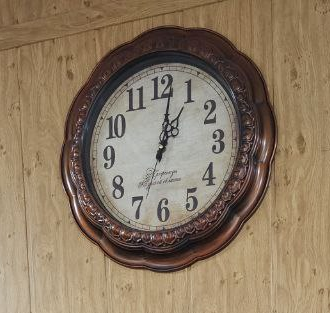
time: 1:01
